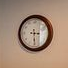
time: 3:29
